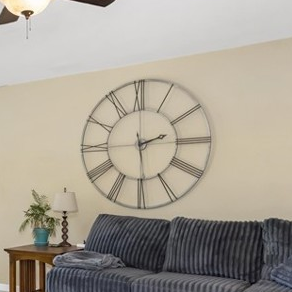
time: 2:29
